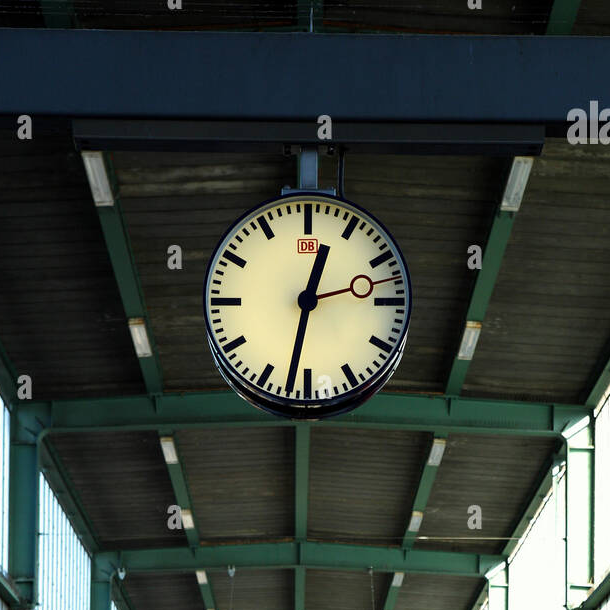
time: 12:32
